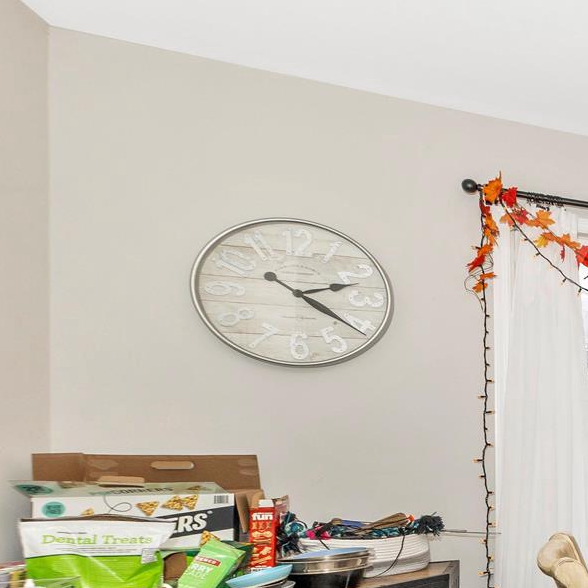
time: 2:21
